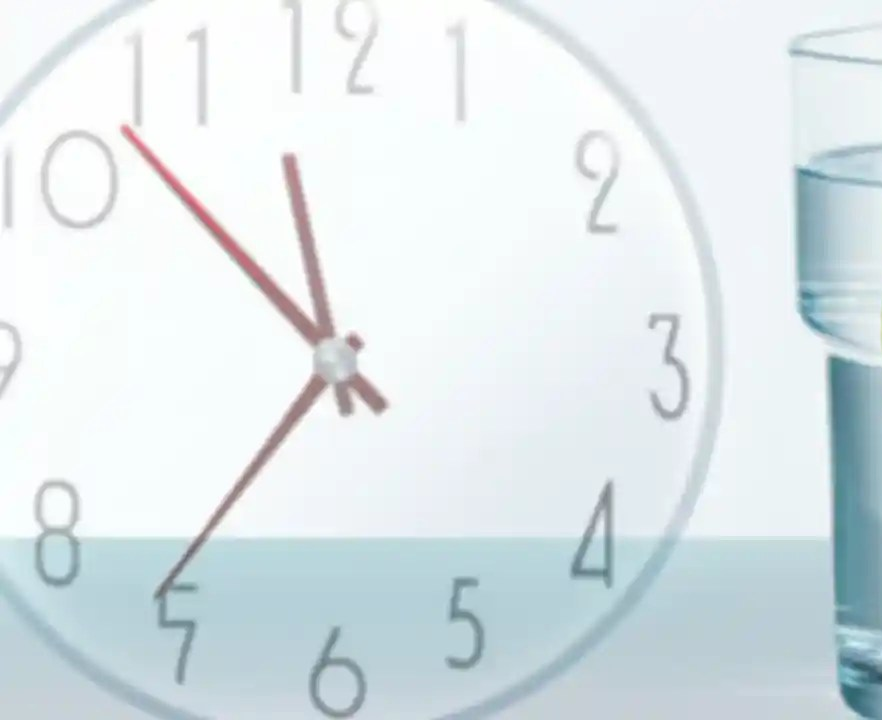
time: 11:36
